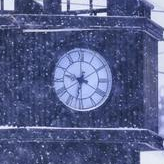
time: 9:32
